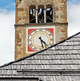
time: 4:27
